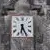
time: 6:25
